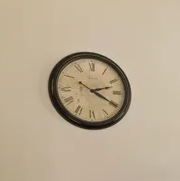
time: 2:19
